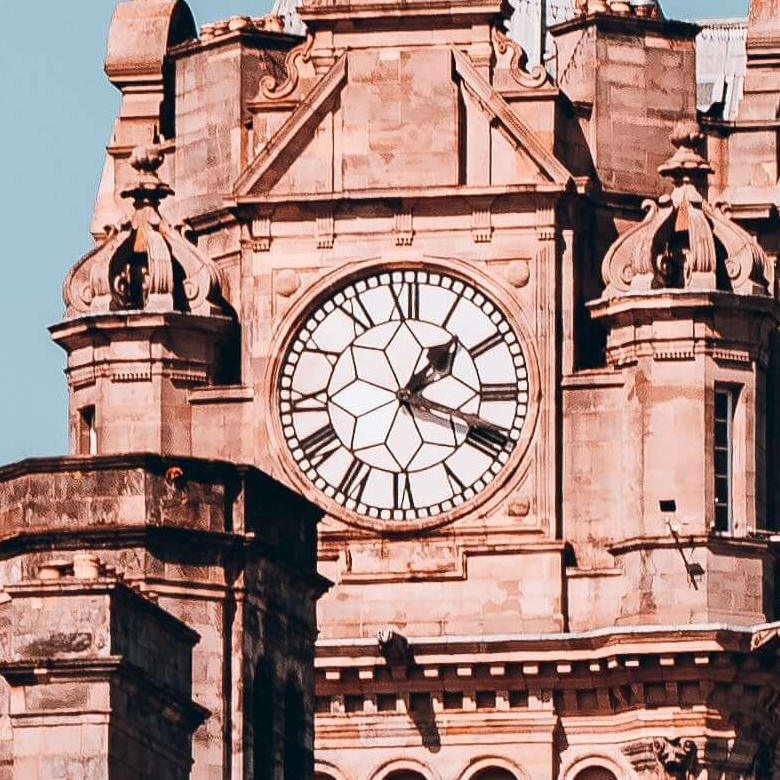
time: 1:18
